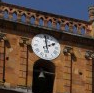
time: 2:00
